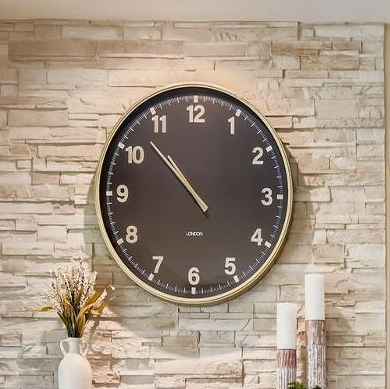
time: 10:52
